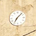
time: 7:07
